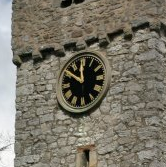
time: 11:50
